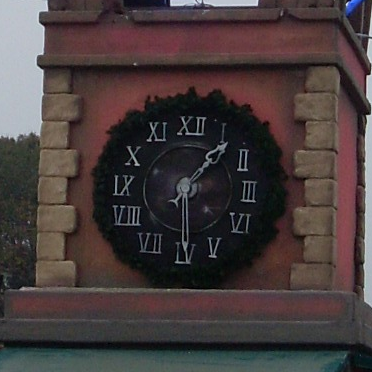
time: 1:29
